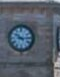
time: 10:14
